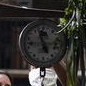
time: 4:57
